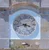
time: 3:43
